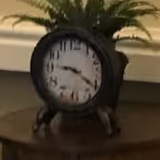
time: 9:20
